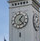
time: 1:23
